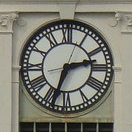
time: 2:33
